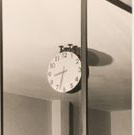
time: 8:32
